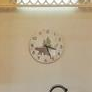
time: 3:26
